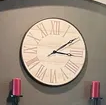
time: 3:09
